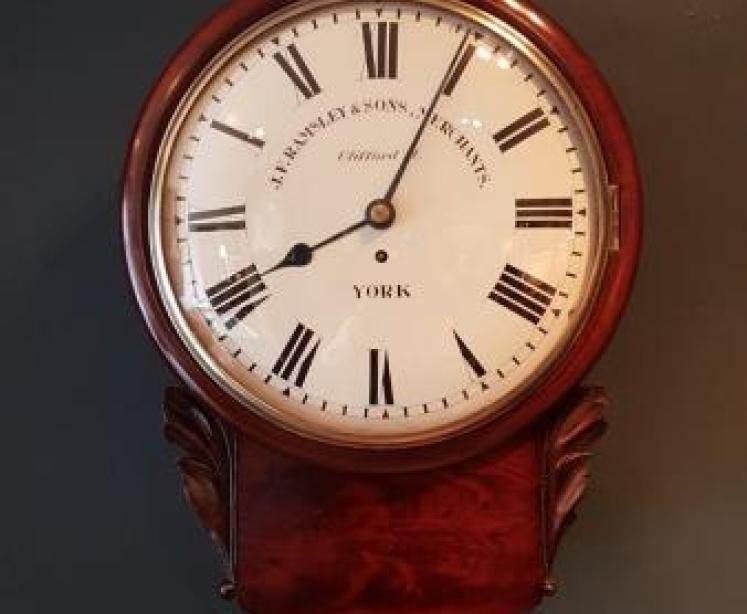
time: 8:04
